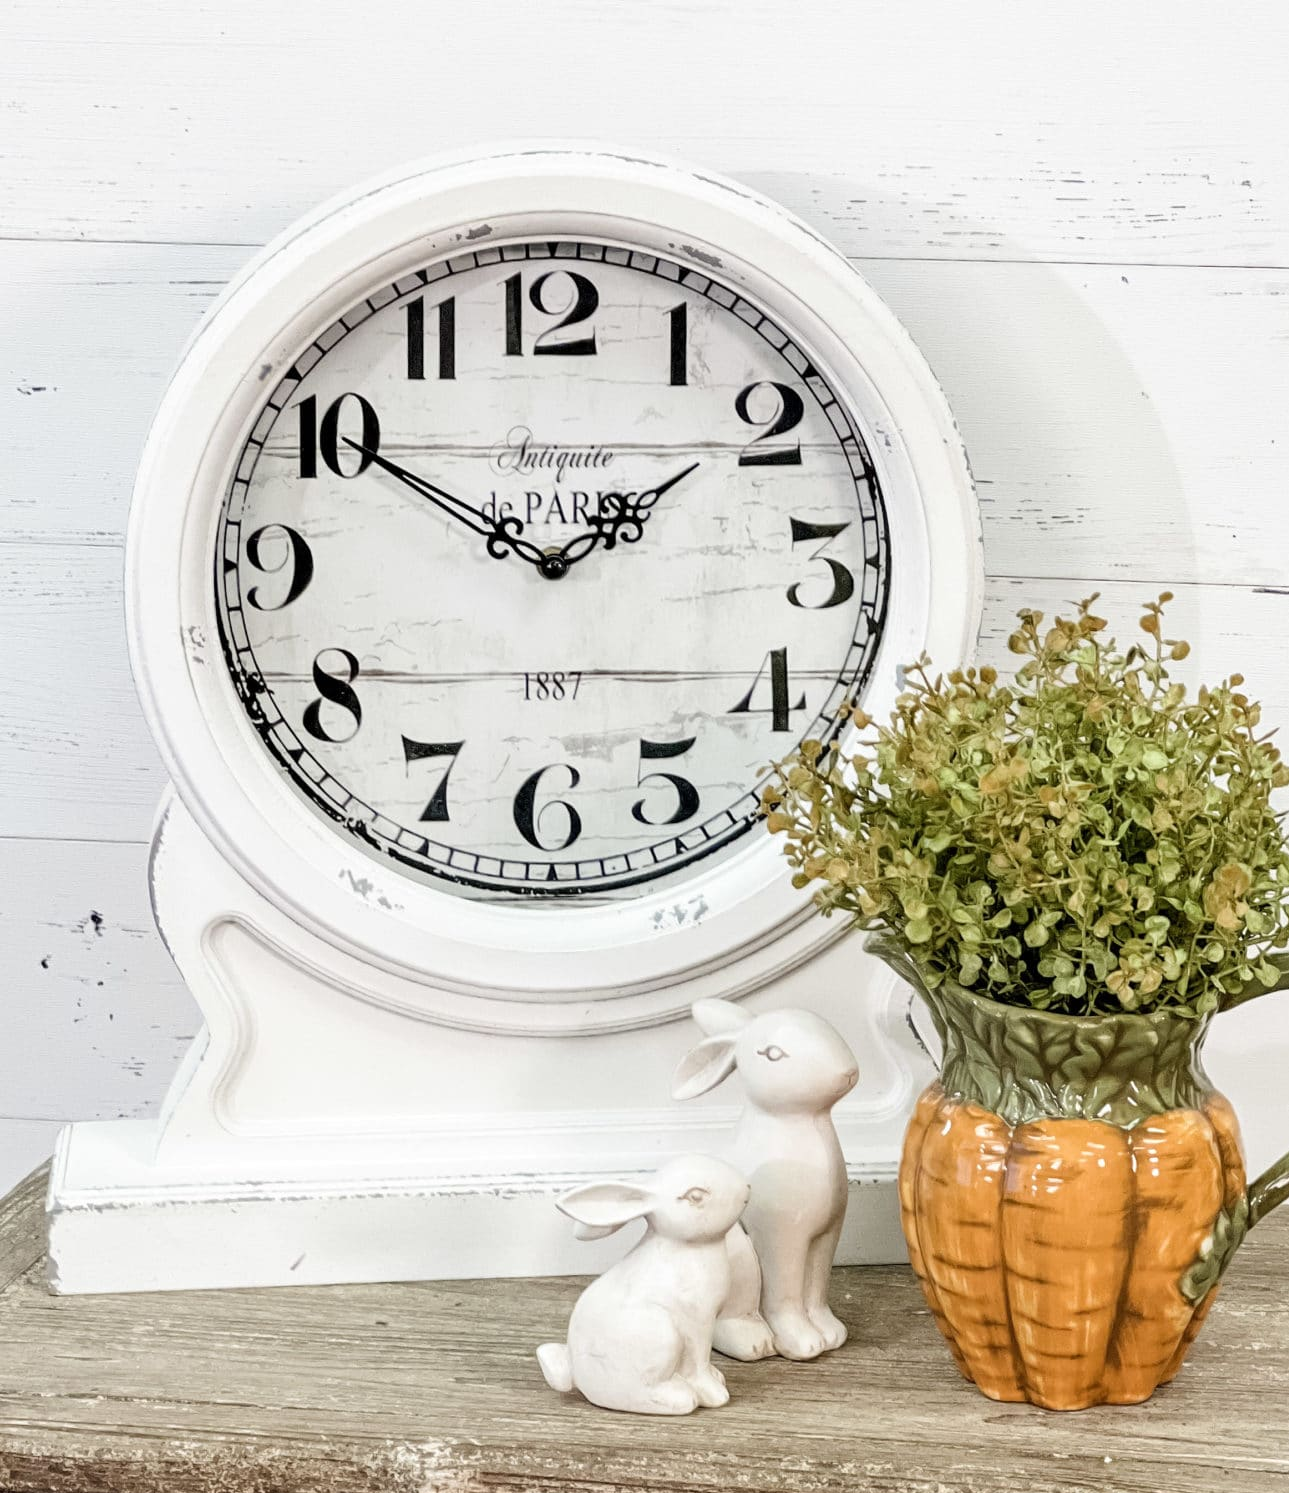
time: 1:50
